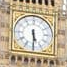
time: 5:29
